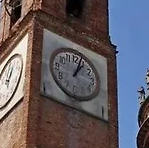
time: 1:03
